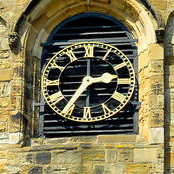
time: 2:36
